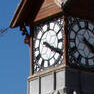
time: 4:20
